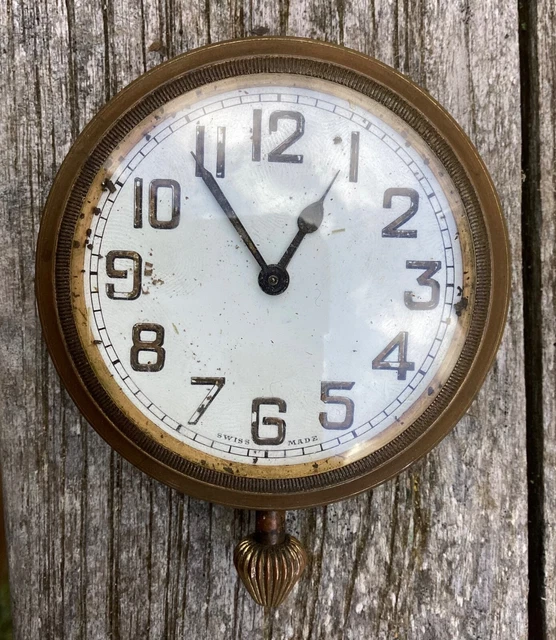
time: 12:54
